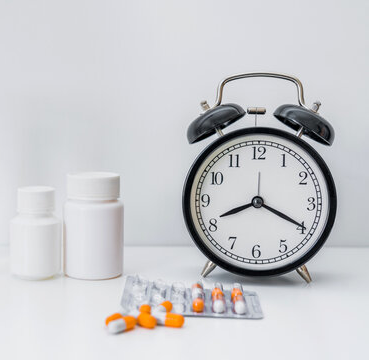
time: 8:19
